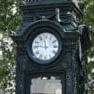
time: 11:46
